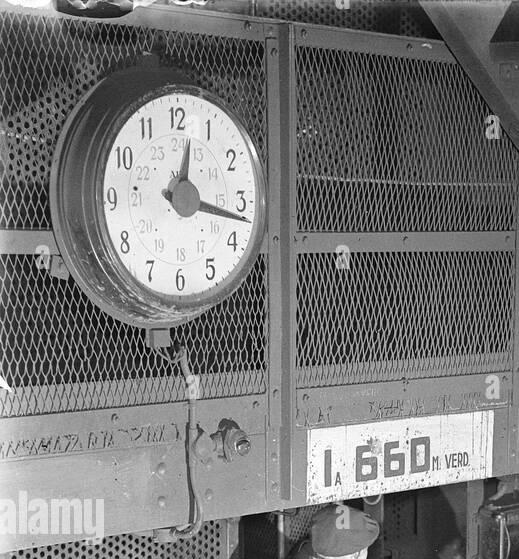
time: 12:16
